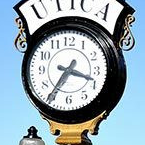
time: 3:35
